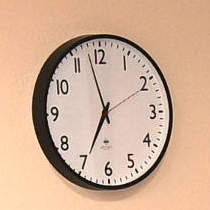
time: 6:57
